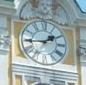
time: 1:44
